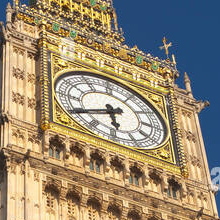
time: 5:40
